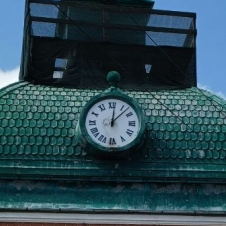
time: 12:07
